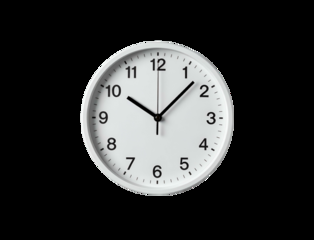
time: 10:07
